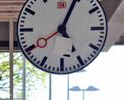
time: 5:04
